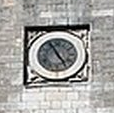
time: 4:55
